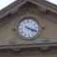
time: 4:18
